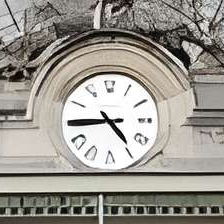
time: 4:44
